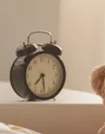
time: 7:28
